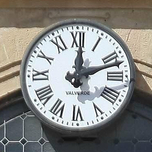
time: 12:11
